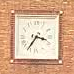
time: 3:35
